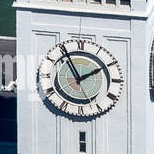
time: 1:55
